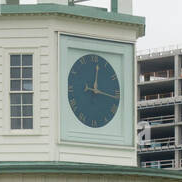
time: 12:16
